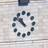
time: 10:51
